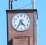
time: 4:35
